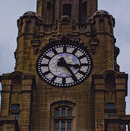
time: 3:24
